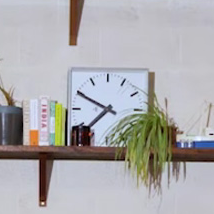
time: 7:49
